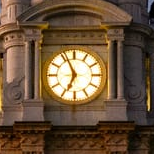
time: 6:56
